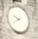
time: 9:40
